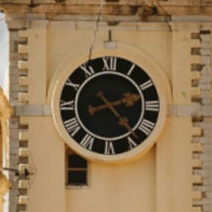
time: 2:23
